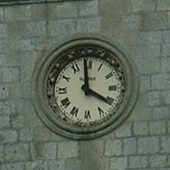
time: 3:59
